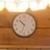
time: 10:33
